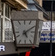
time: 5:09
